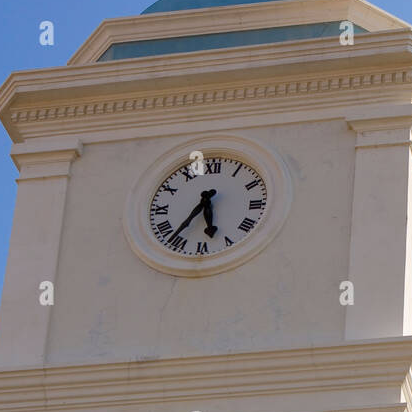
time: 5:36
